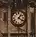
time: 1:20
